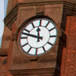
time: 11:47
